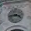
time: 3:43
